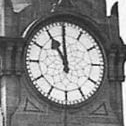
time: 10:59
